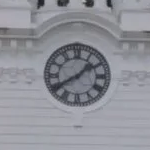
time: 1:39
